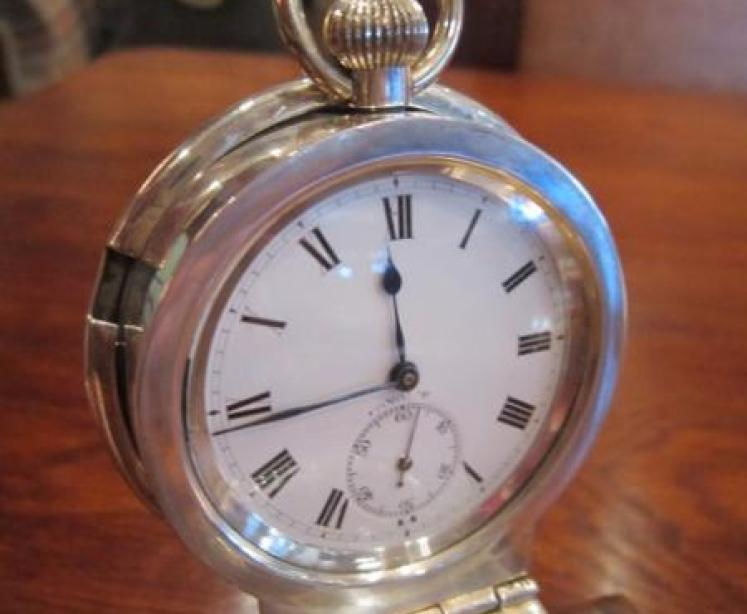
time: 11:43
